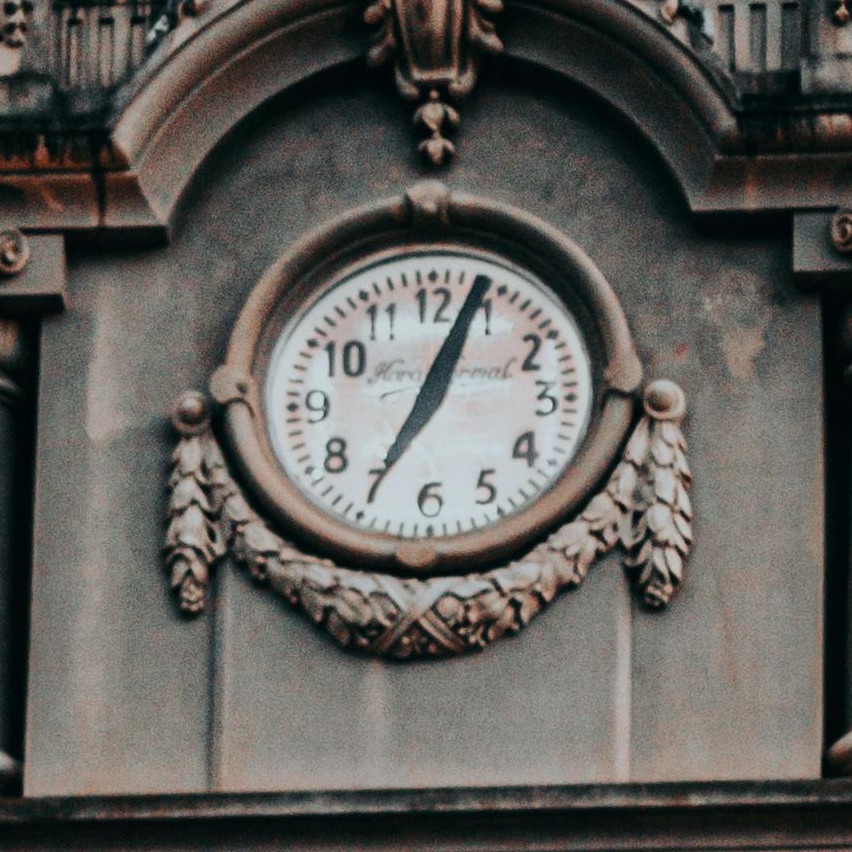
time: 7:04
